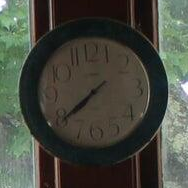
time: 7:39
